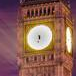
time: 6:27
